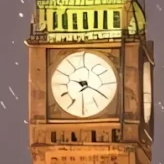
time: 9:20
